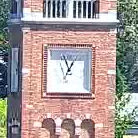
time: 12:55
